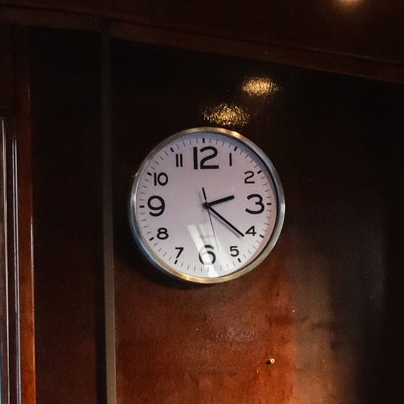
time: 2:21
